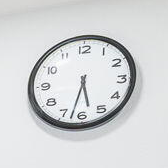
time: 5:32
